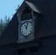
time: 11:02
